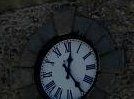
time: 12:24
